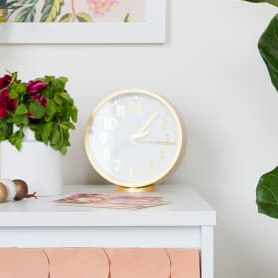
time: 1:16
